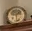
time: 1:28
